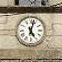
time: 5:02
